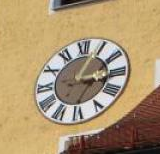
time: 3:04
